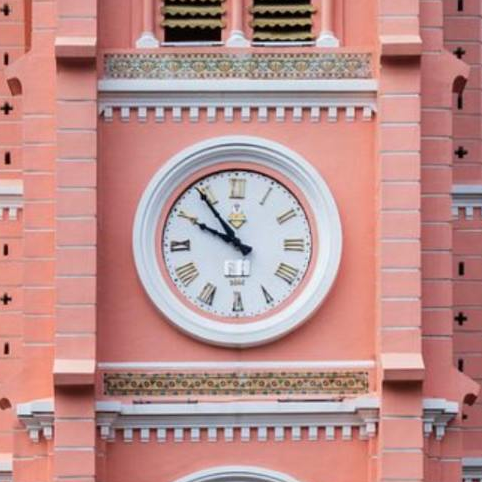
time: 9:54
